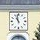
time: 10:58
